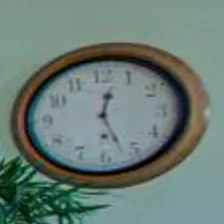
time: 12:26
